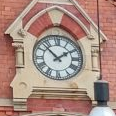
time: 1:52
